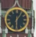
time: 1:30
